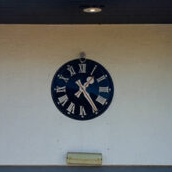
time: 1:24
